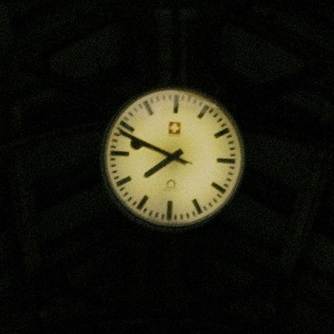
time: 7:48
